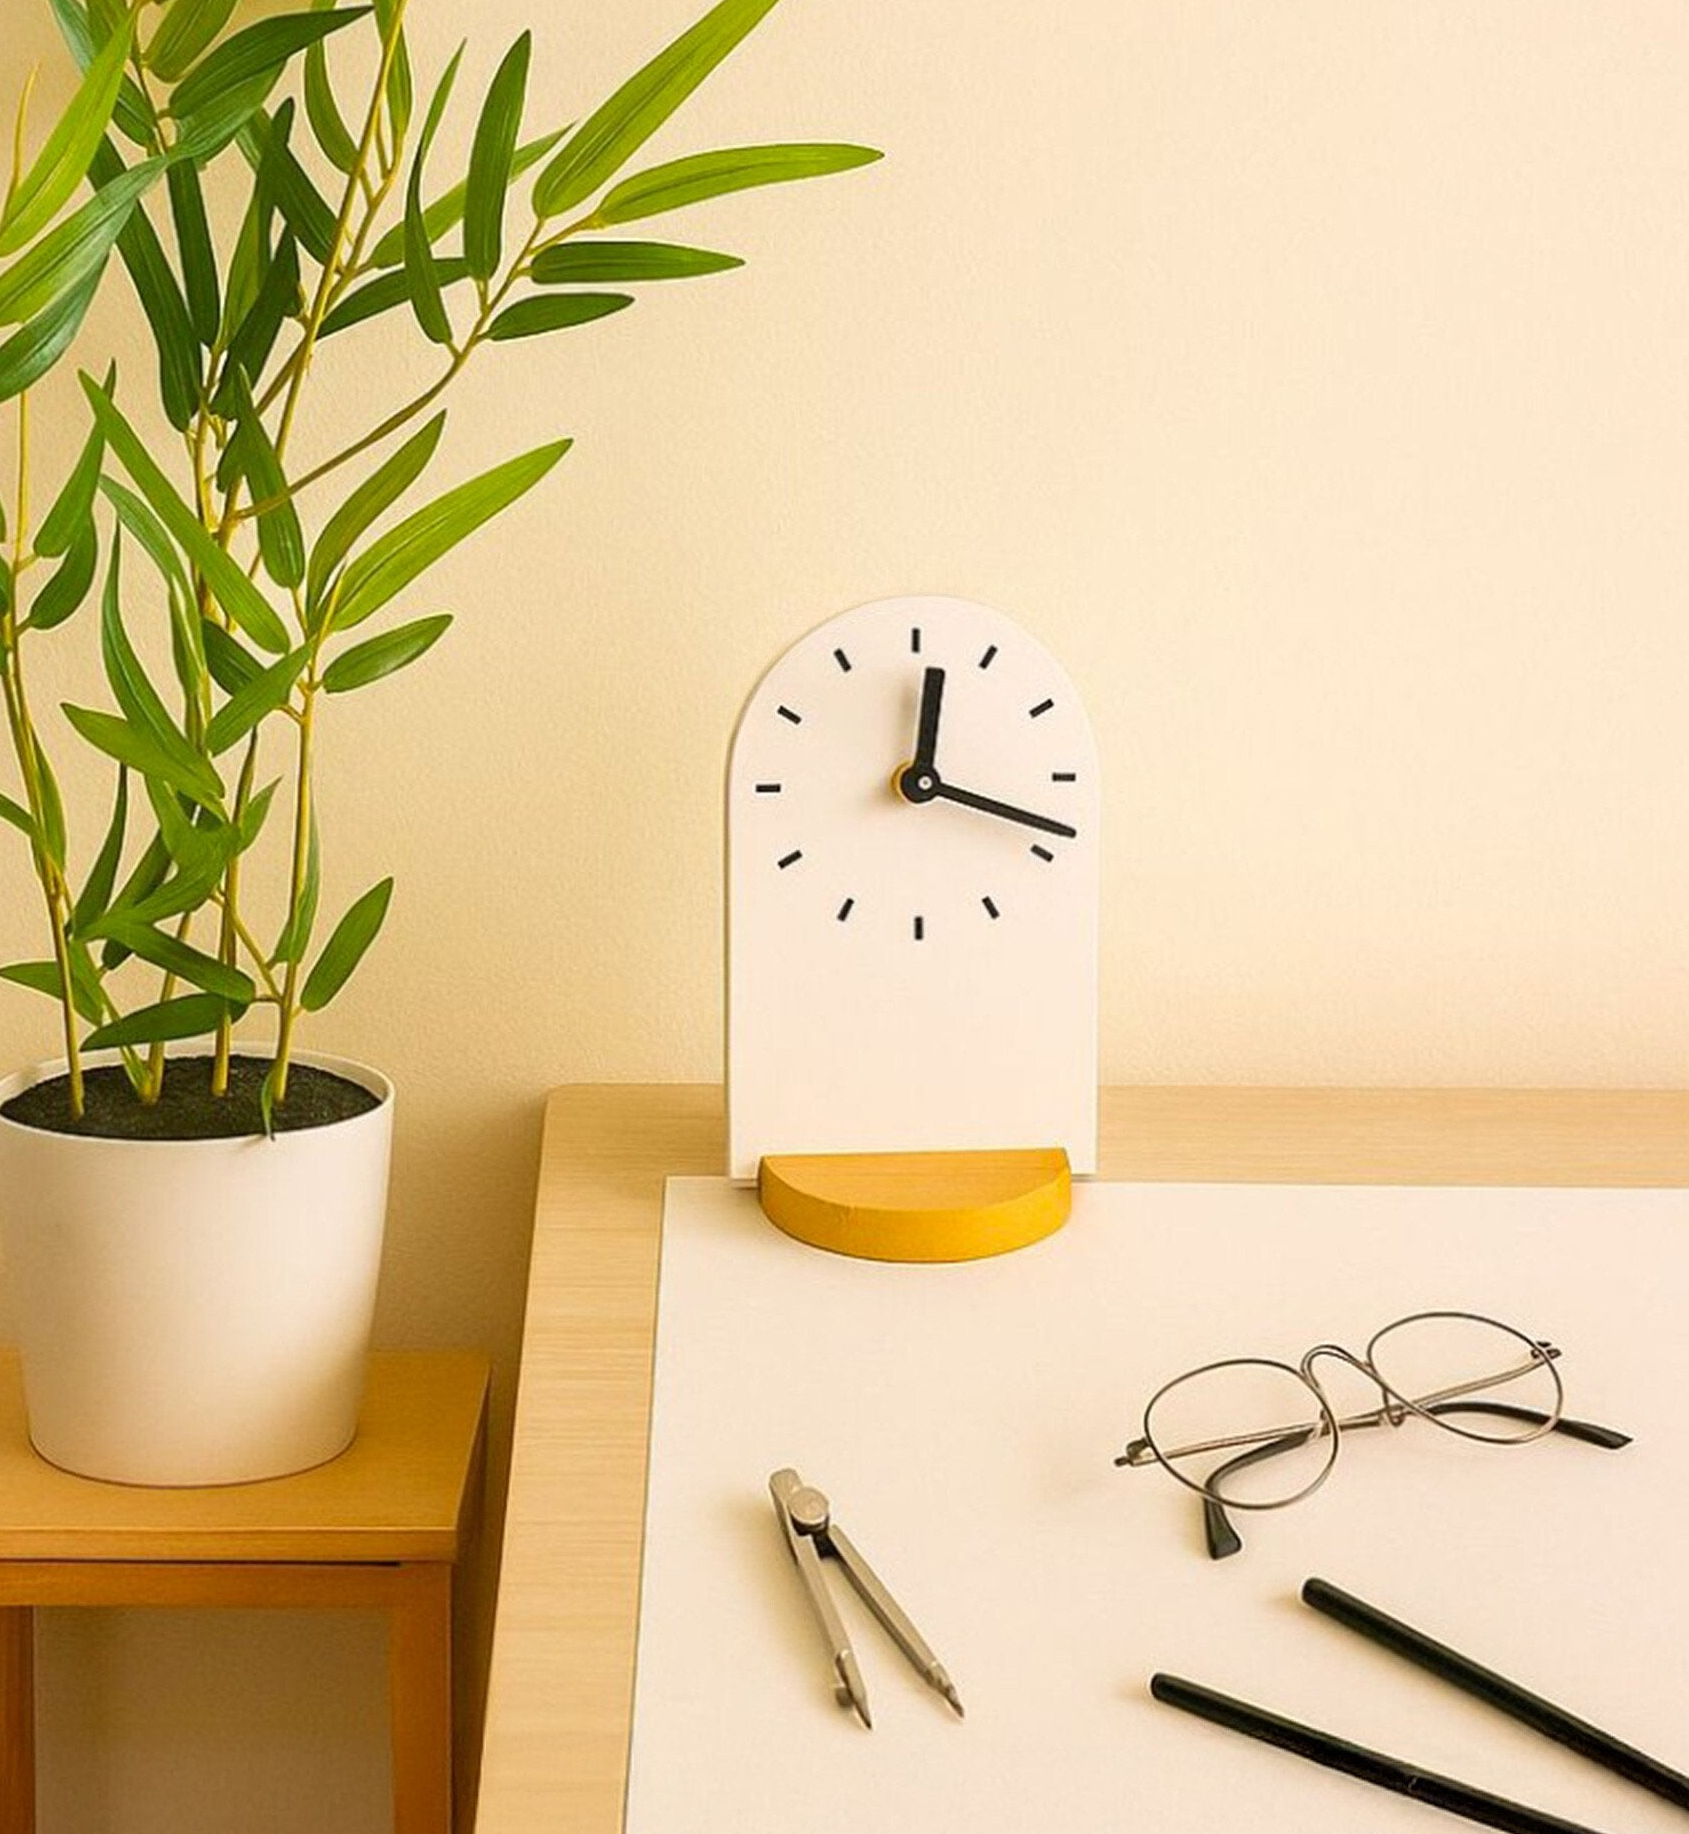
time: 12:18
